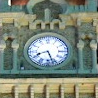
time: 8:26
